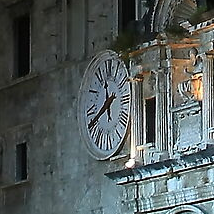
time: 11:40
